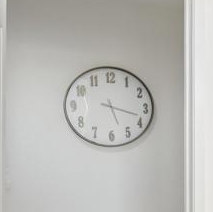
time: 5:18
